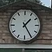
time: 1:24
